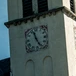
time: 11:25
